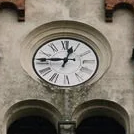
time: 12:46
